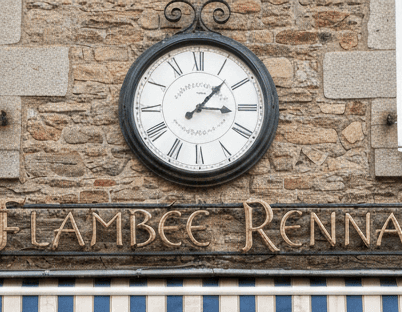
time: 3:07
